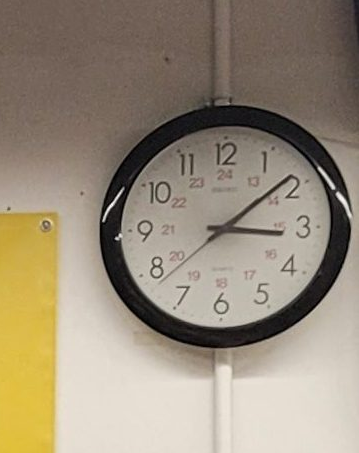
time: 3:08
